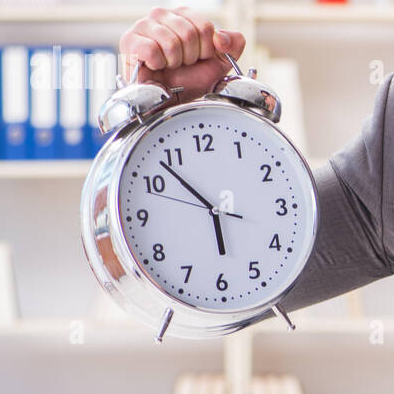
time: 5:53
